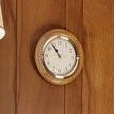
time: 10:53
